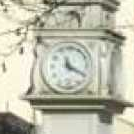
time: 11:19
